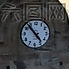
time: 4:53
